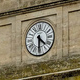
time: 4:30
